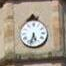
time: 5:32
